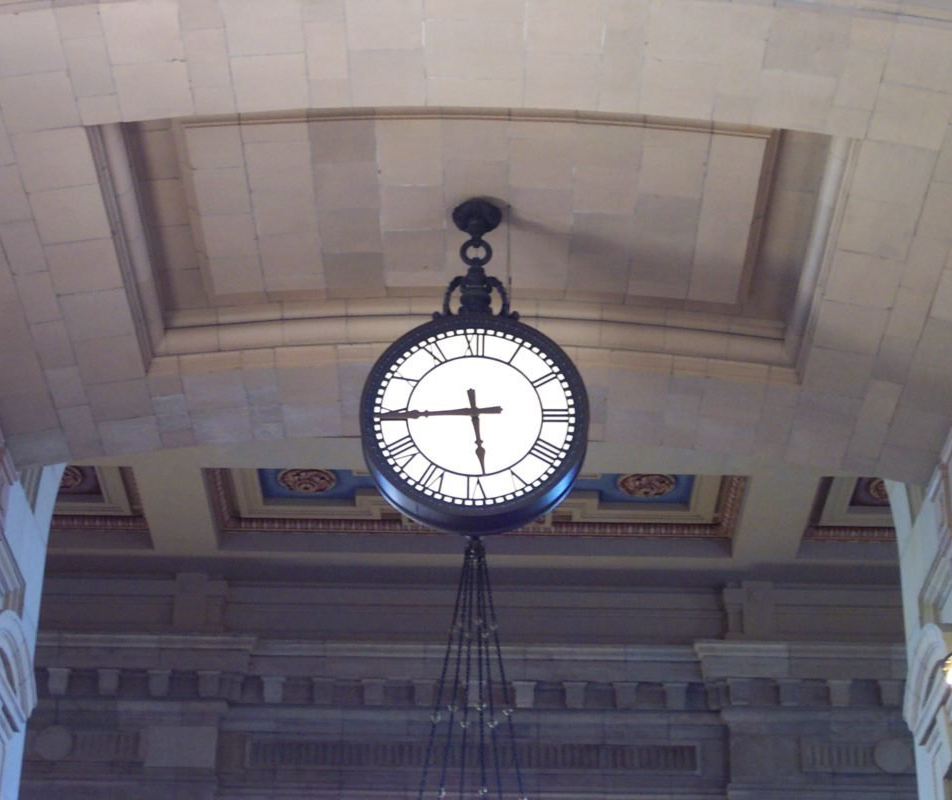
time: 5:44
